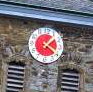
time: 1:20
